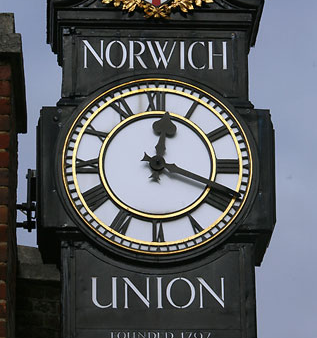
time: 12:18
